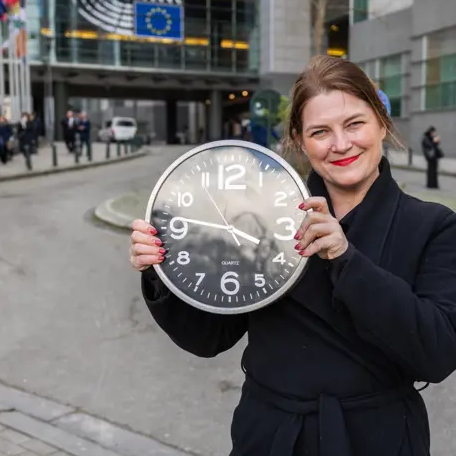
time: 3:46
